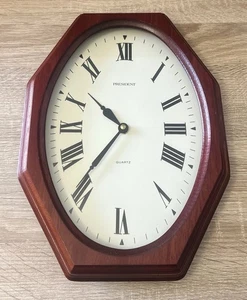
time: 10:36
